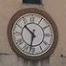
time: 10:32
